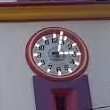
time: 3:02
